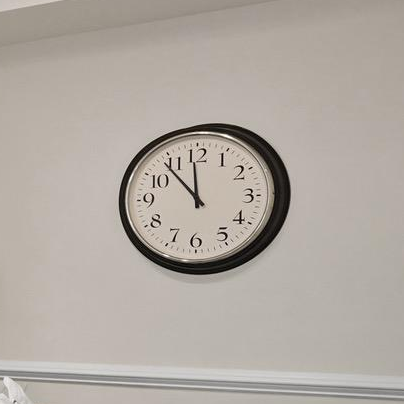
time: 11:53
